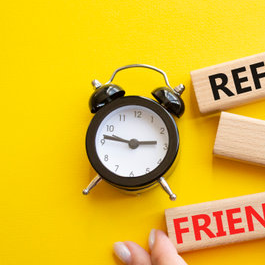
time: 2:46
